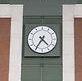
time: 4:35
